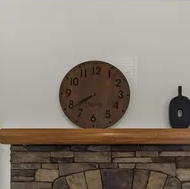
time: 7:39
